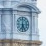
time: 6:25
